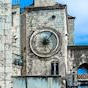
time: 6:06
